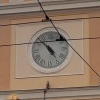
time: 4:52
